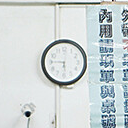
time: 5:45
